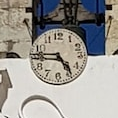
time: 4:46
